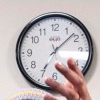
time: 7:07
